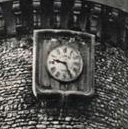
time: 9:25
